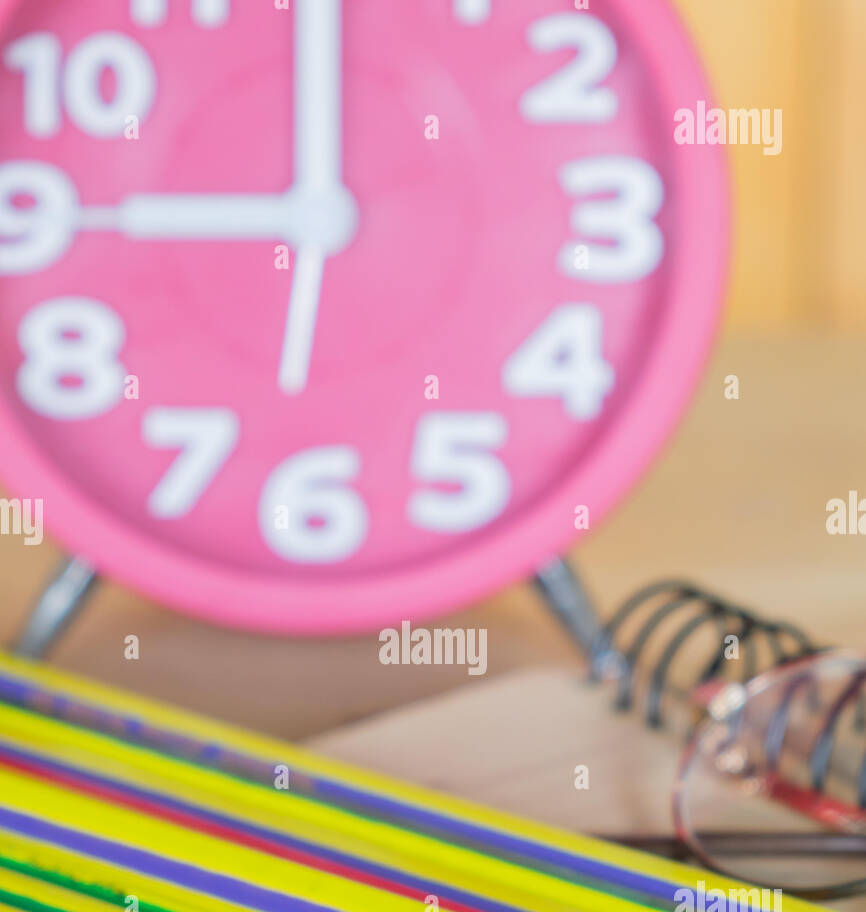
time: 9:00
